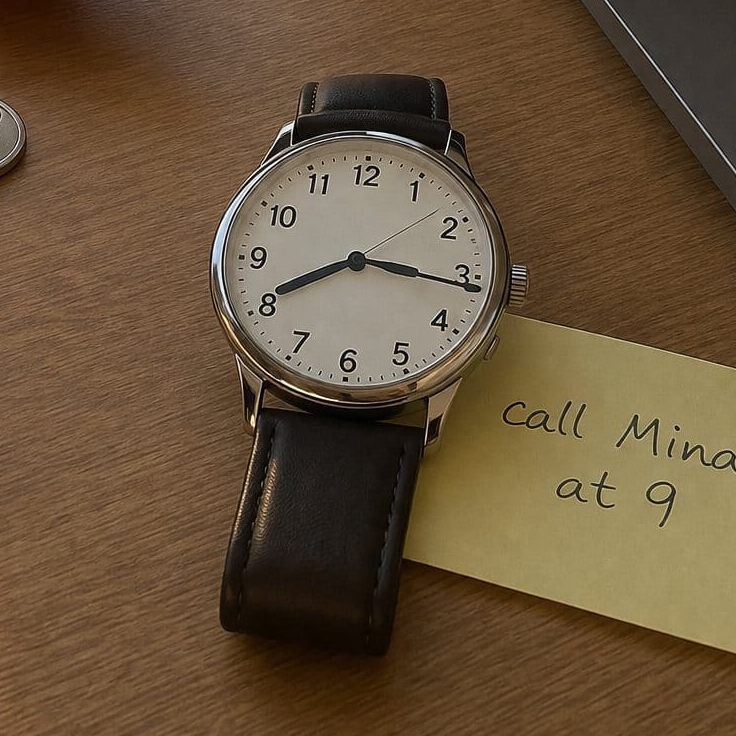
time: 8:16
